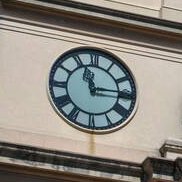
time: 11:14
